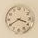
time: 3:40
